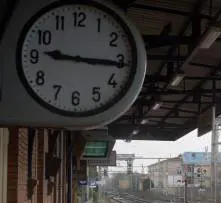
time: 9:15
